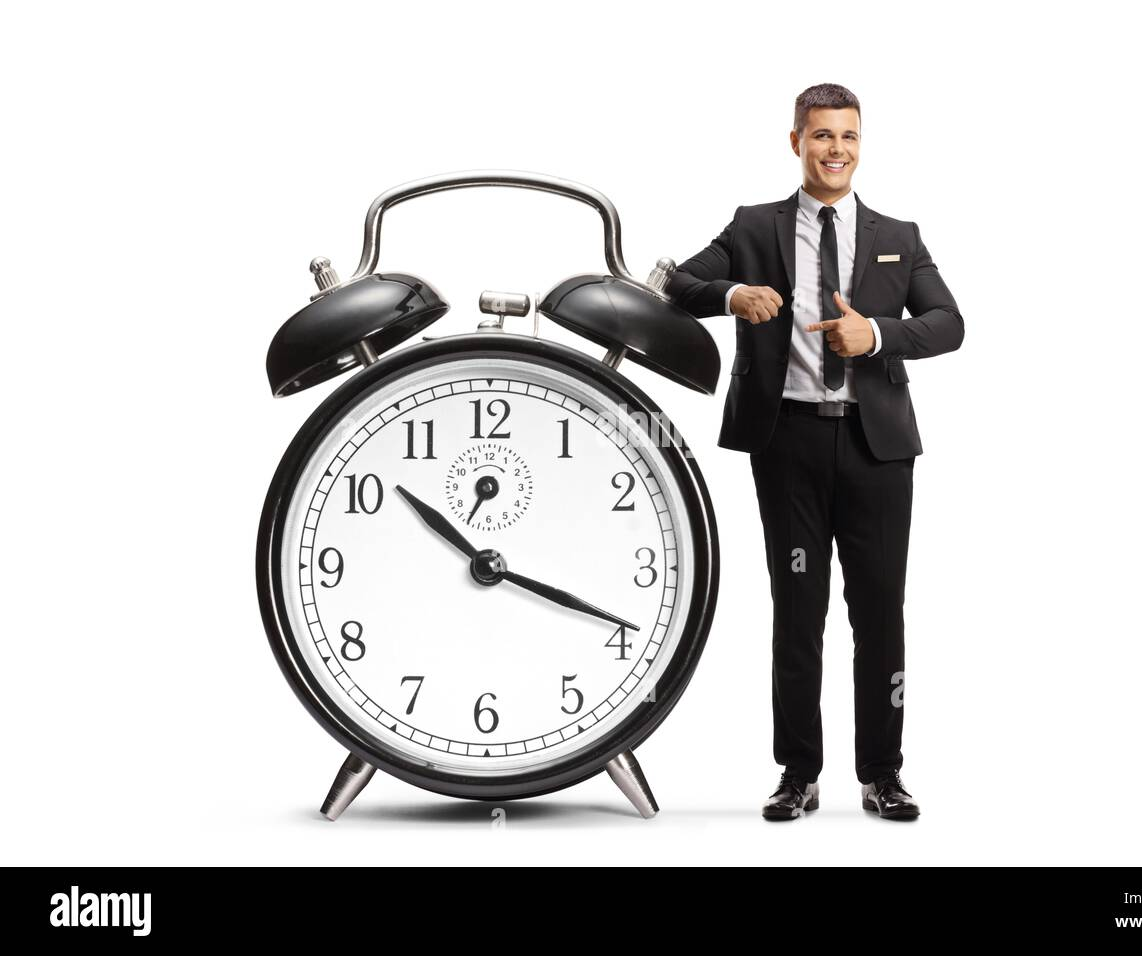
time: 10:18
